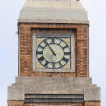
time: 10:54
